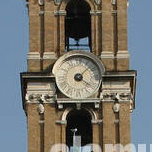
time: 4:07
